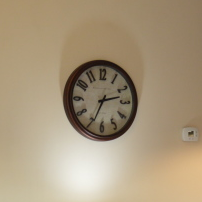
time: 2:34
